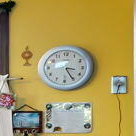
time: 3:25
